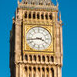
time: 3:43
